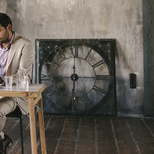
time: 6:15
